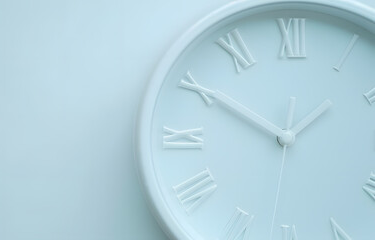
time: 1:50
